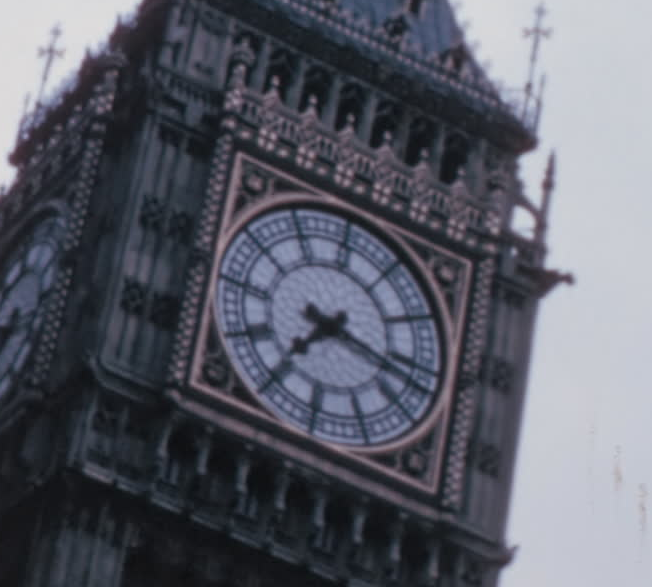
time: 7:17
